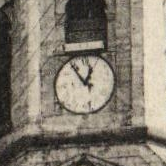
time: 12:54
